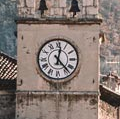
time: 12:23
